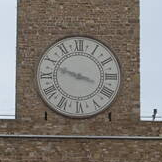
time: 9:48
